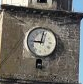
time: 9:01
